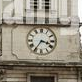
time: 3:35
